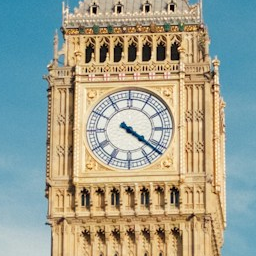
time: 4:21
